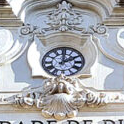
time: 2:00
